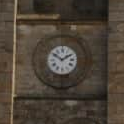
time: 1:50
